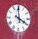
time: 3:59
